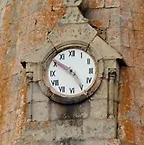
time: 4:50
